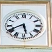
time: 5:40
